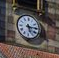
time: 5:14
